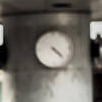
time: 4:22
